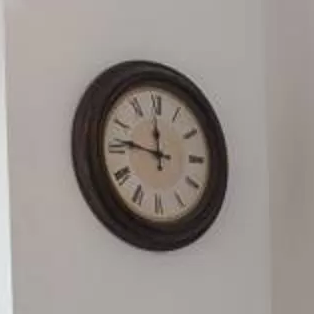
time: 11:46
